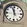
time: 11:57
